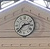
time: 2:37
